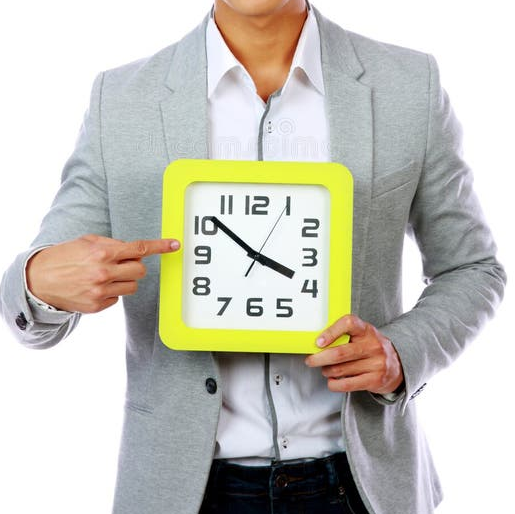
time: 3:51
